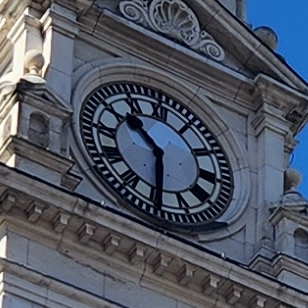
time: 10:30
